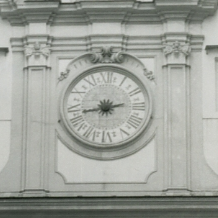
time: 2:42
